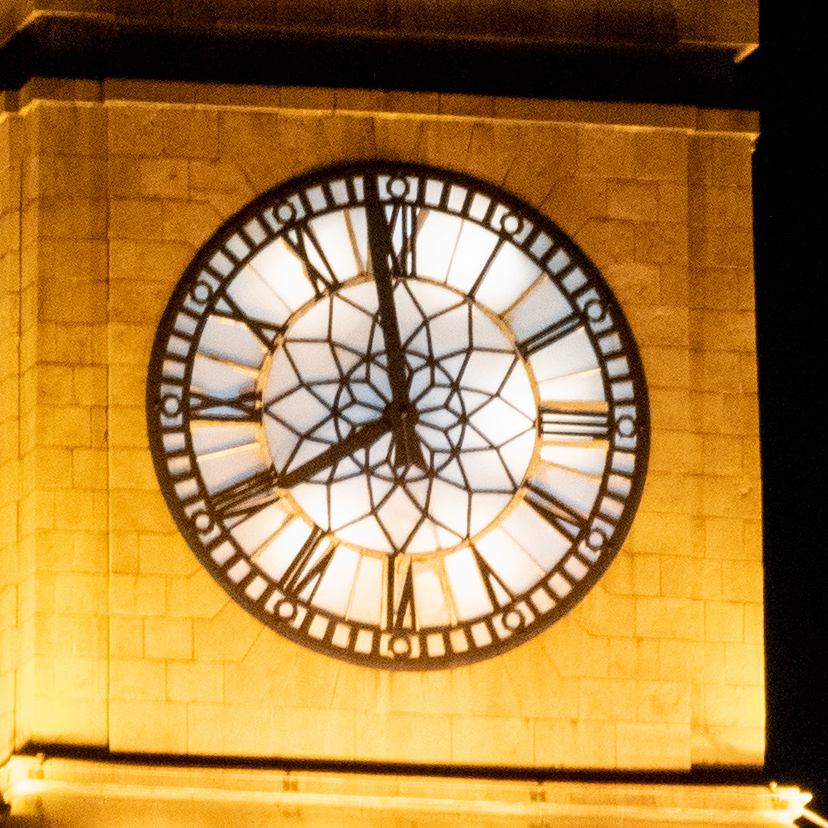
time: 7:58
